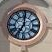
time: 7:00
